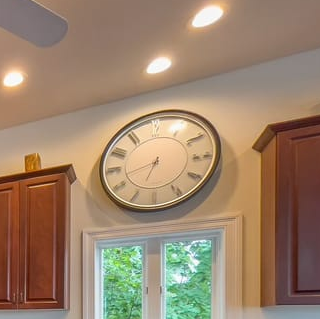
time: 6:43
